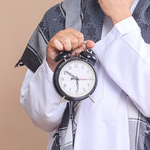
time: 5:51
